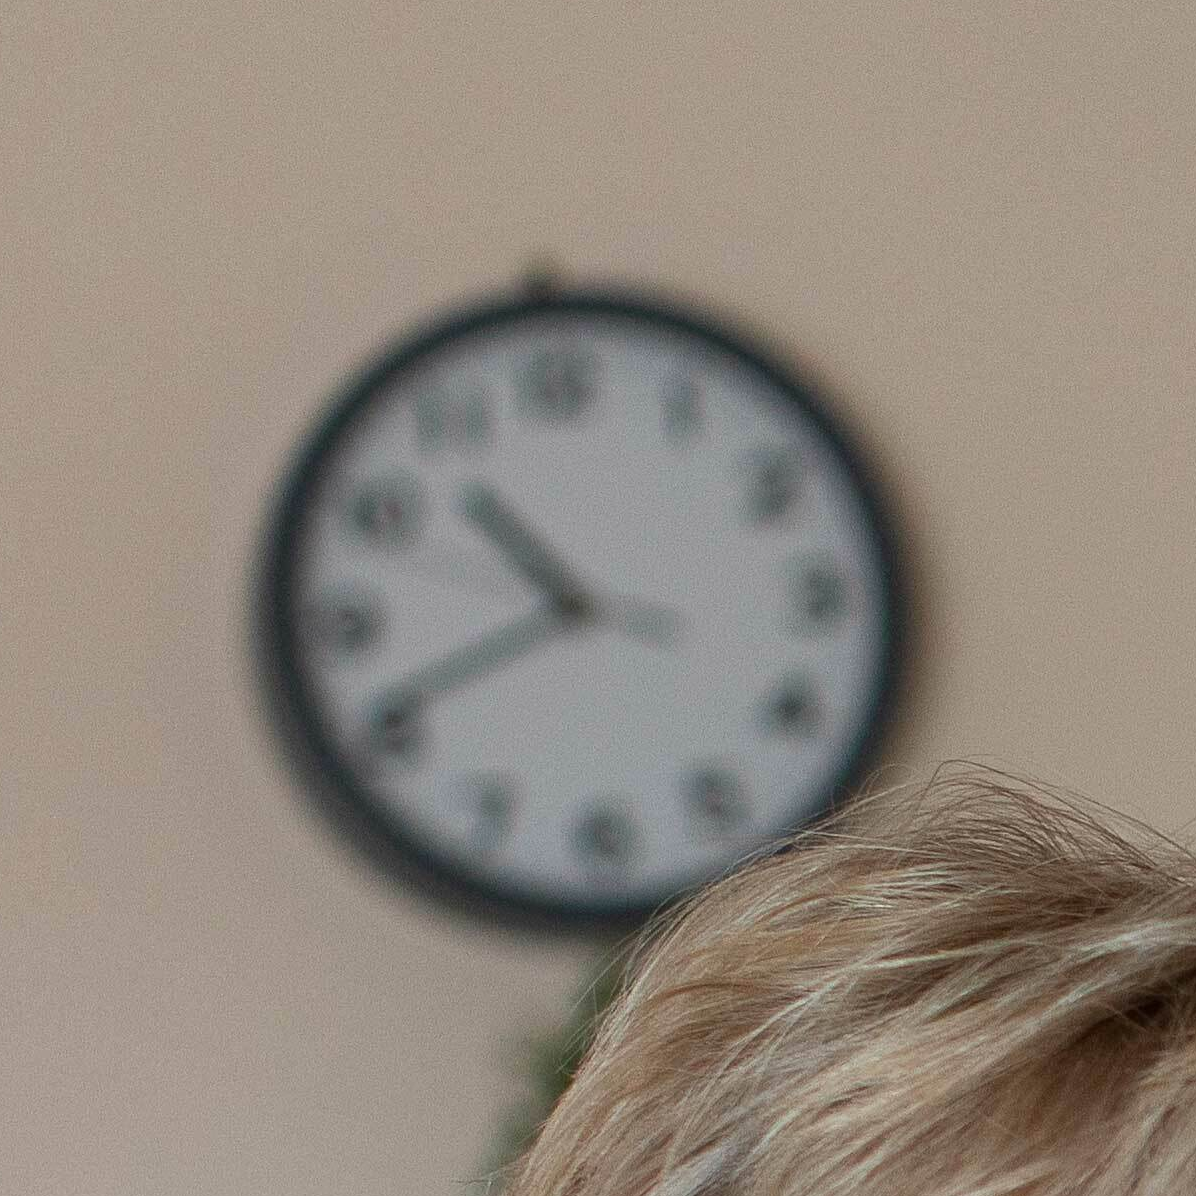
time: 10:40
